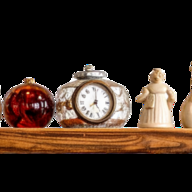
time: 8:01
